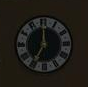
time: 7:00
